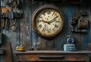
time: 9:10
